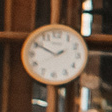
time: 1:49
